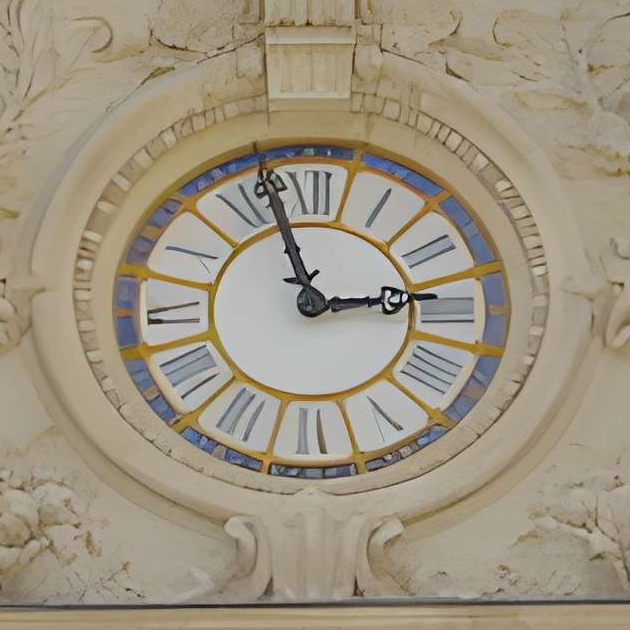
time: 2:57
